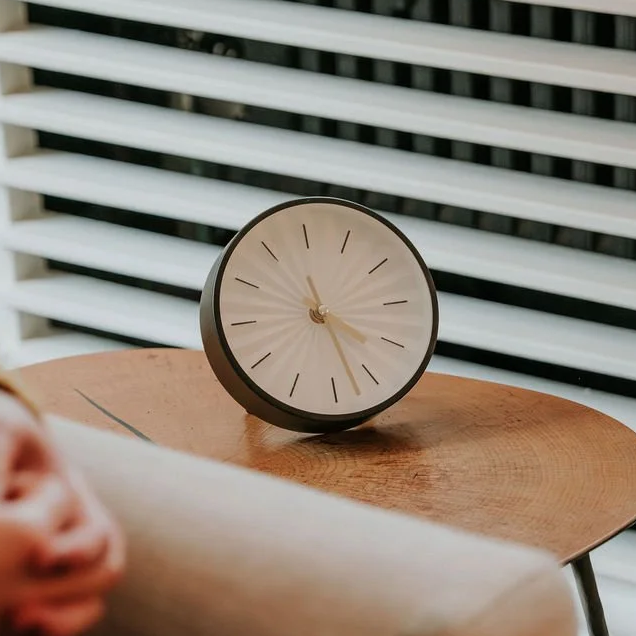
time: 4:27
